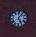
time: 5:06
